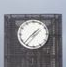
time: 1:37
